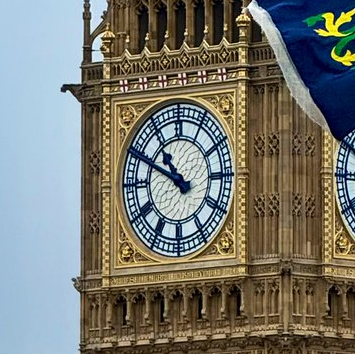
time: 10:49
